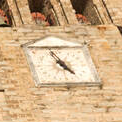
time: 4:57
